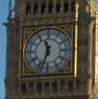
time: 11:33
